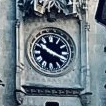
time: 3:50
